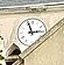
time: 2:56
